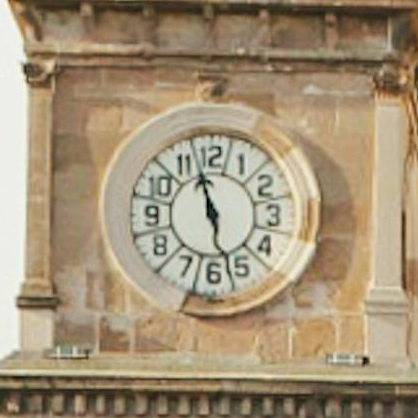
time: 5:57
